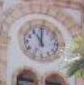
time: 11:00
